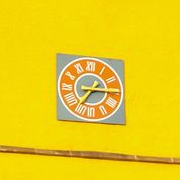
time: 7:15
